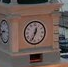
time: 12:33
